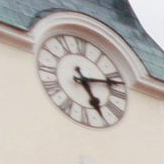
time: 5:12
